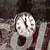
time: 11:53
